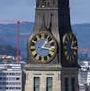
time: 1:16
